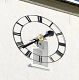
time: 1:38
